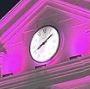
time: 8:09
